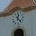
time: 12:23
